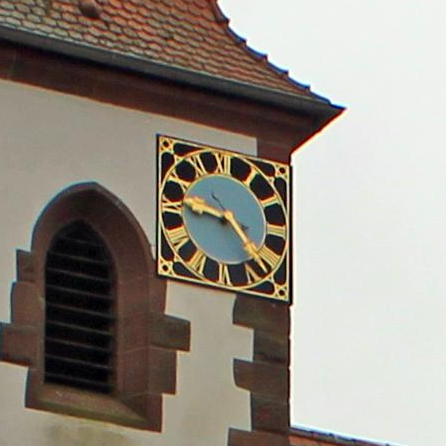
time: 9:22
